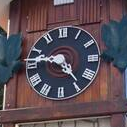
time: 4:47
